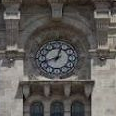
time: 12:41
